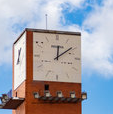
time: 12:08
